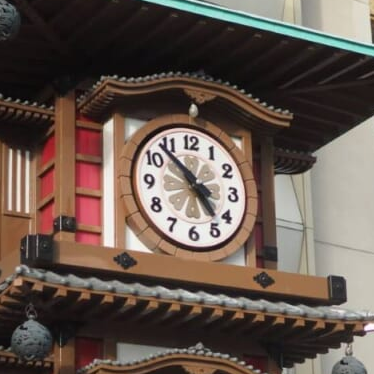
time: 4:52
